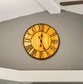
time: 5:01
